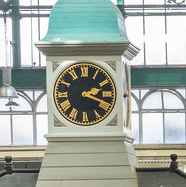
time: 2:18
